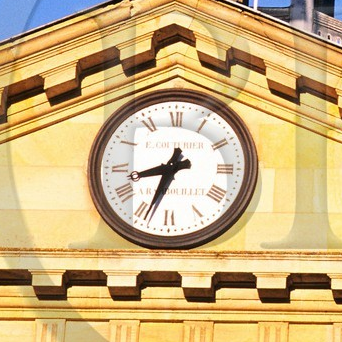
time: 8:33
